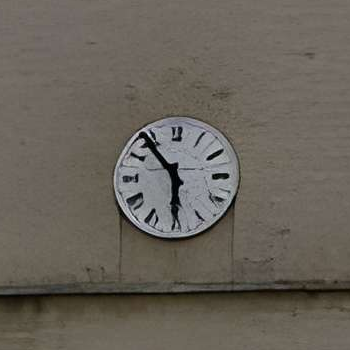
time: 5:53
